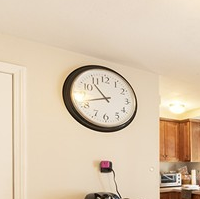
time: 10:42
